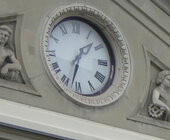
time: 1:33
